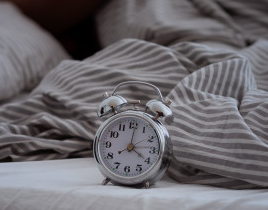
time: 4:01
